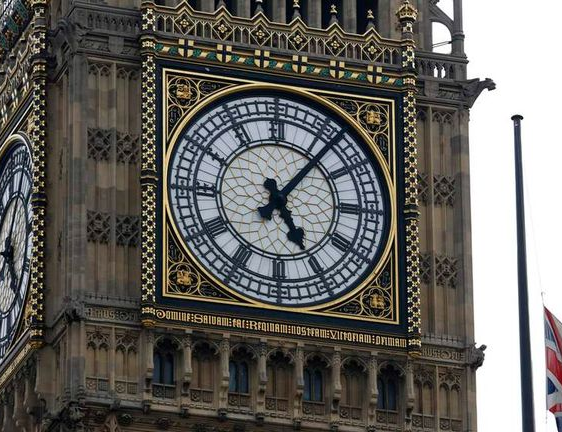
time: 5:06
